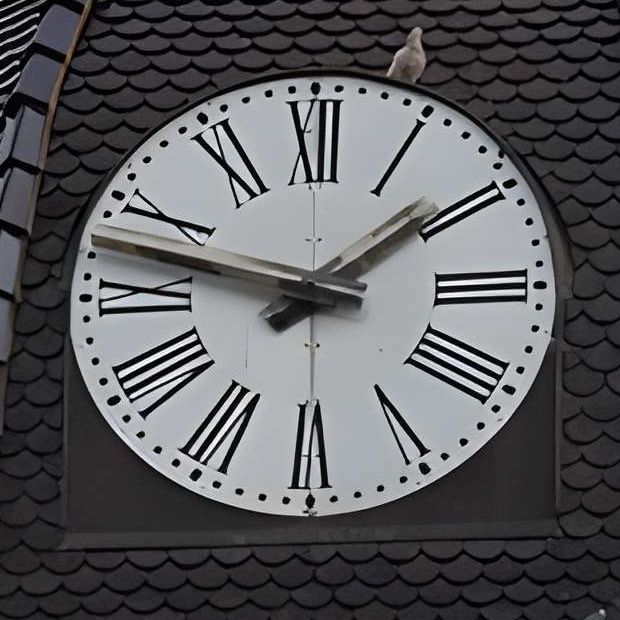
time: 1:47
